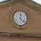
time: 12:22
